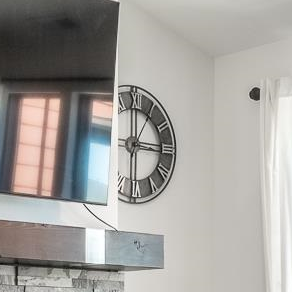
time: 2:59
